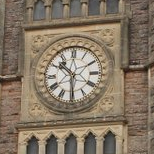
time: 10:30
